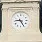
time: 9:25
